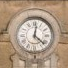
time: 12:22
